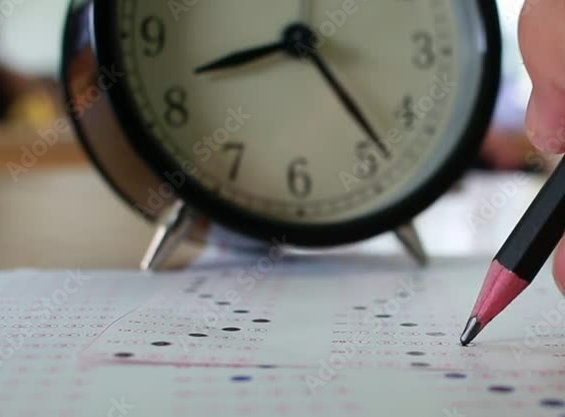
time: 8:23
